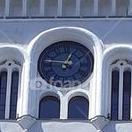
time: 12:46
